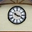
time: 10:18
